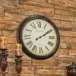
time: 2:09
